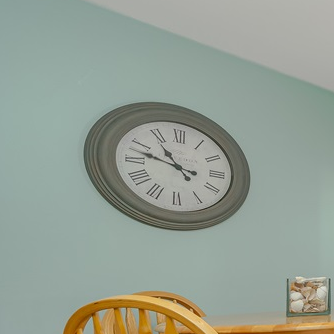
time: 10:47
